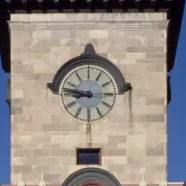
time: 8:46
